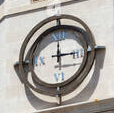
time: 2:58
